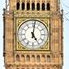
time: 5:01
